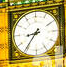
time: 8:36
